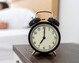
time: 7:00
